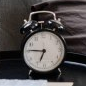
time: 6:46
